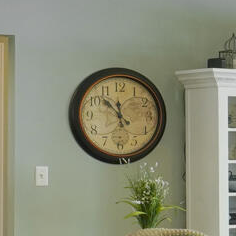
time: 11:52
